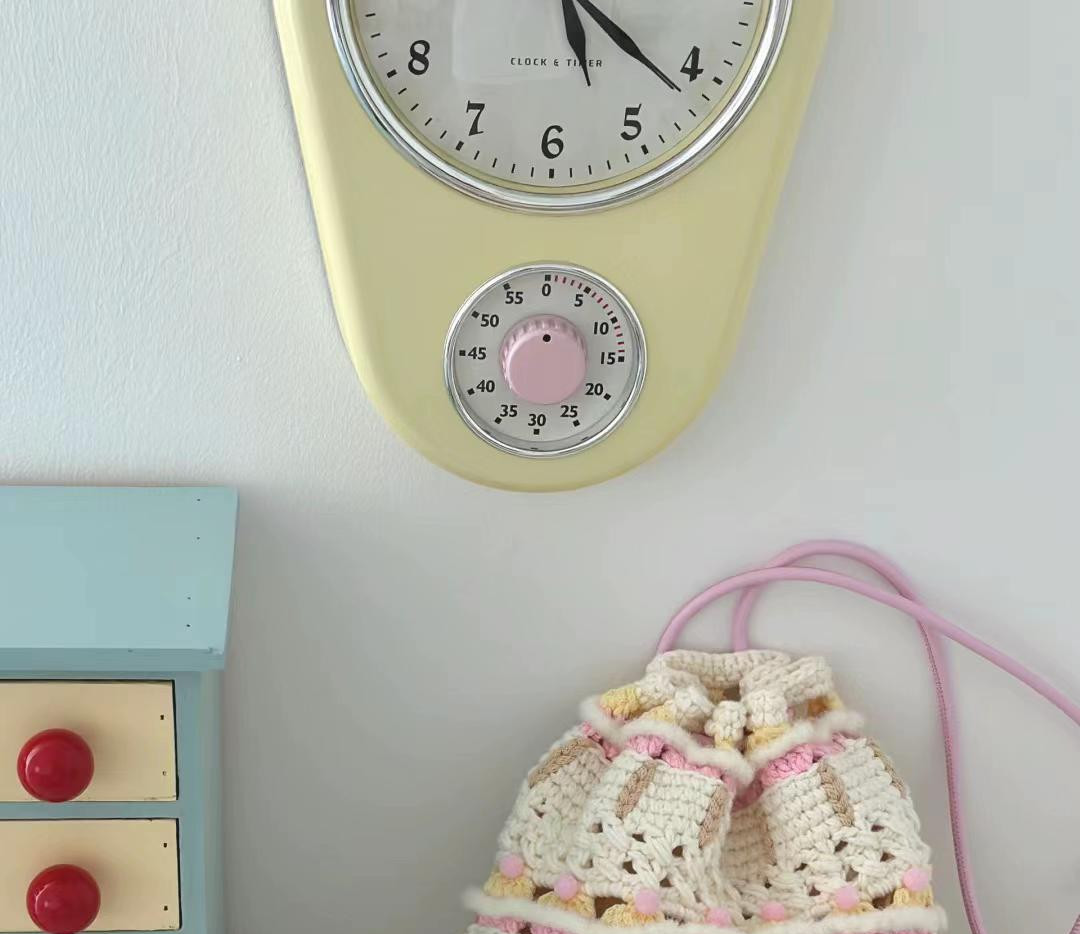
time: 5:21
